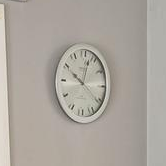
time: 10:02
